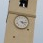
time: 4:14
